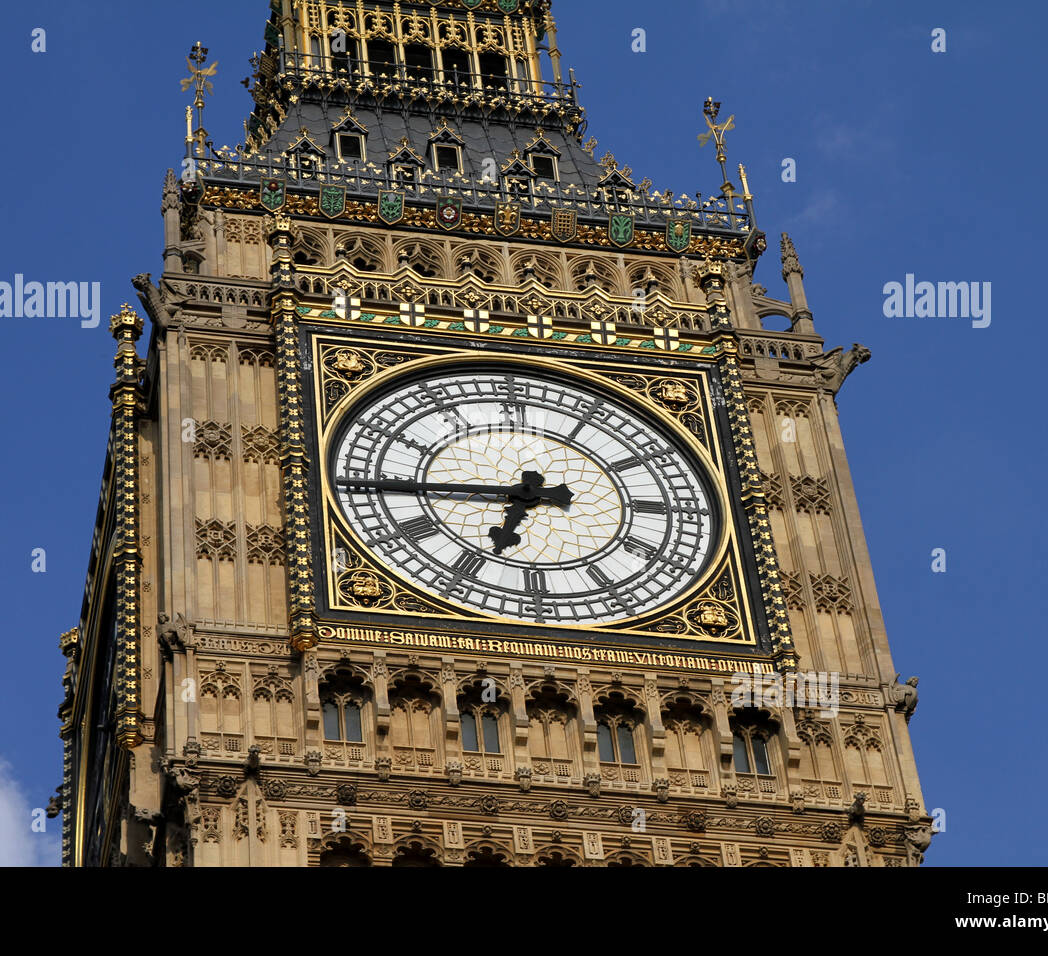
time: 6:44
